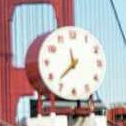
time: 11:37
